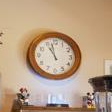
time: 10:58
